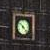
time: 10:22
